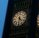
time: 4:31
